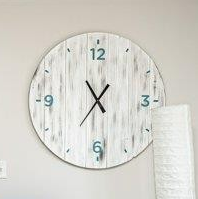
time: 10:36
